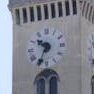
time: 10:34
